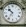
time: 10:36
